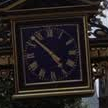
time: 4:52
